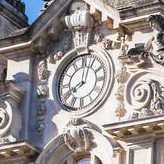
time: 8:01
